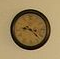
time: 9:22
